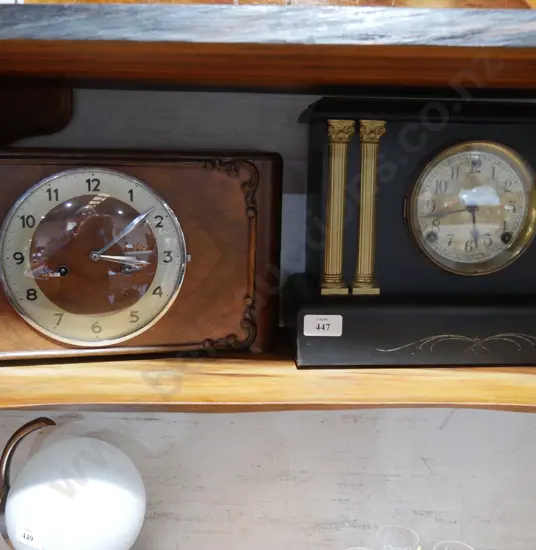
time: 3:08
